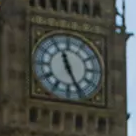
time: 11:25
